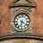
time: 6:21
